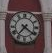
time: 7:21
